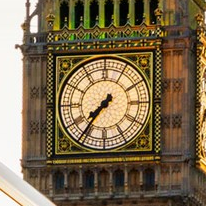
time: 7:36
